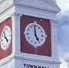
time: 4:59
